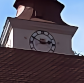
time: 2:49
